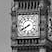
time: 7:40
